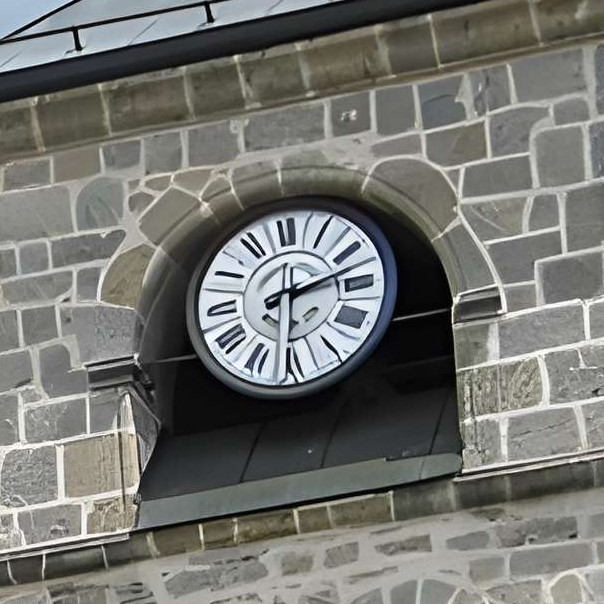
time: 2:30
